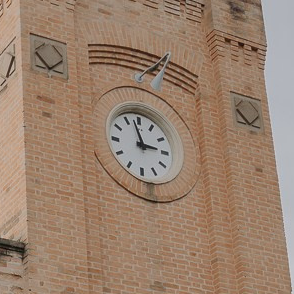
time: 2:57
